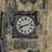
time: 8:12
